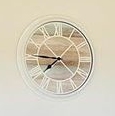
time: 7:45
